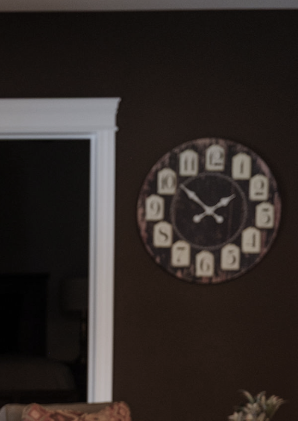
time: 1:51
